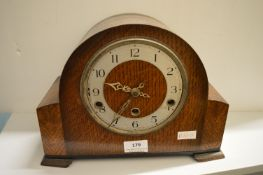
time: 9:35
